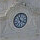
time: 11:19
